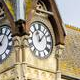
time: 11:07
